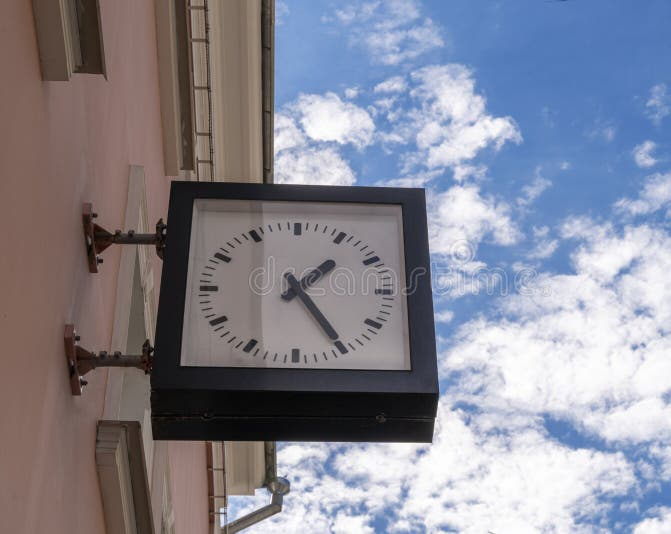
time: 1:24
